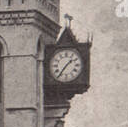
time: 1:36
